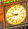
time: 9:43
